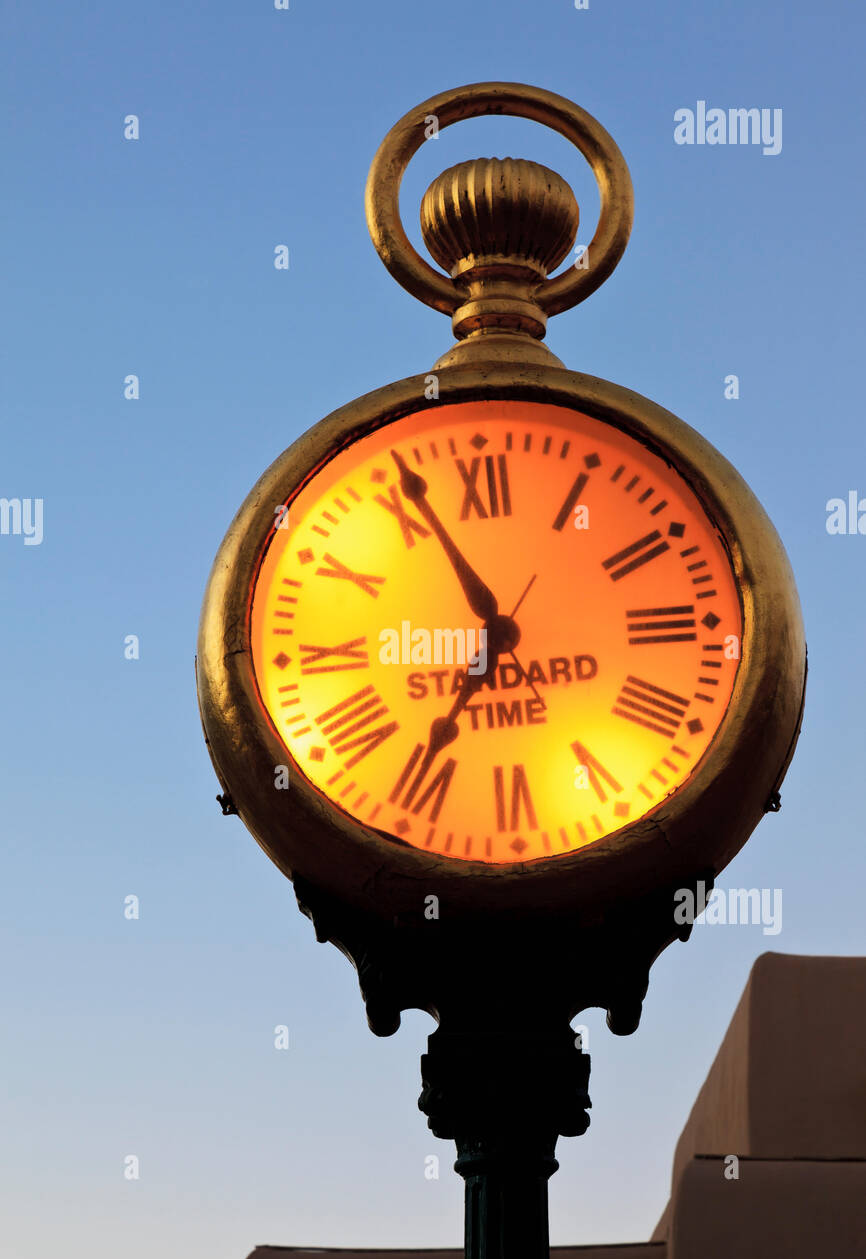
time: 6:55
